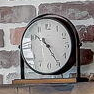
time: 10:24
